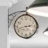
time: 2:42
